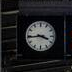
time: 3:44
